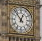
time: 12:53
